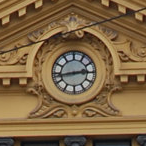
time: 2:43
